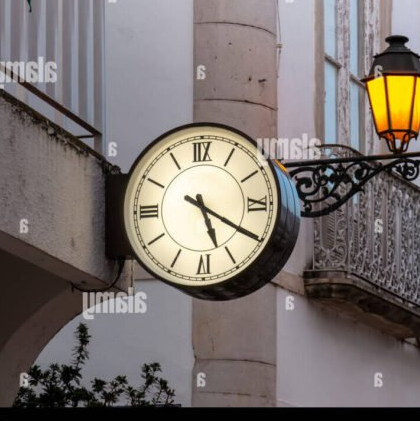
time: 5:20
